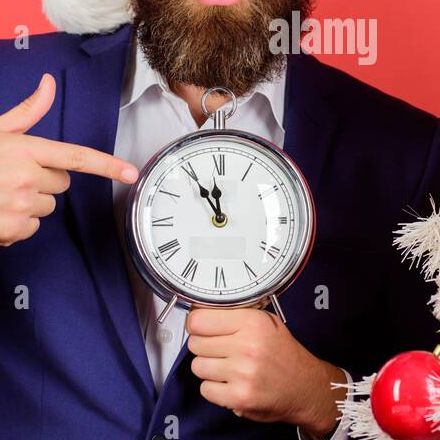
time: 11:54
